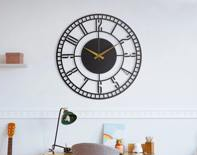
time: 1:50
